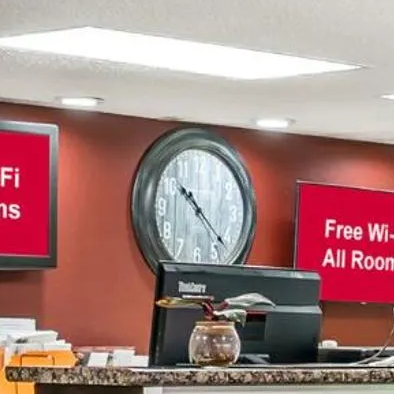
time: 10:22
